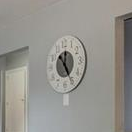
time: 12:24
